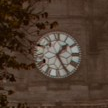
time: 1:25
